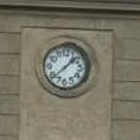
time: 1:38
